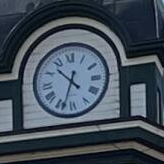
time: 10:33
